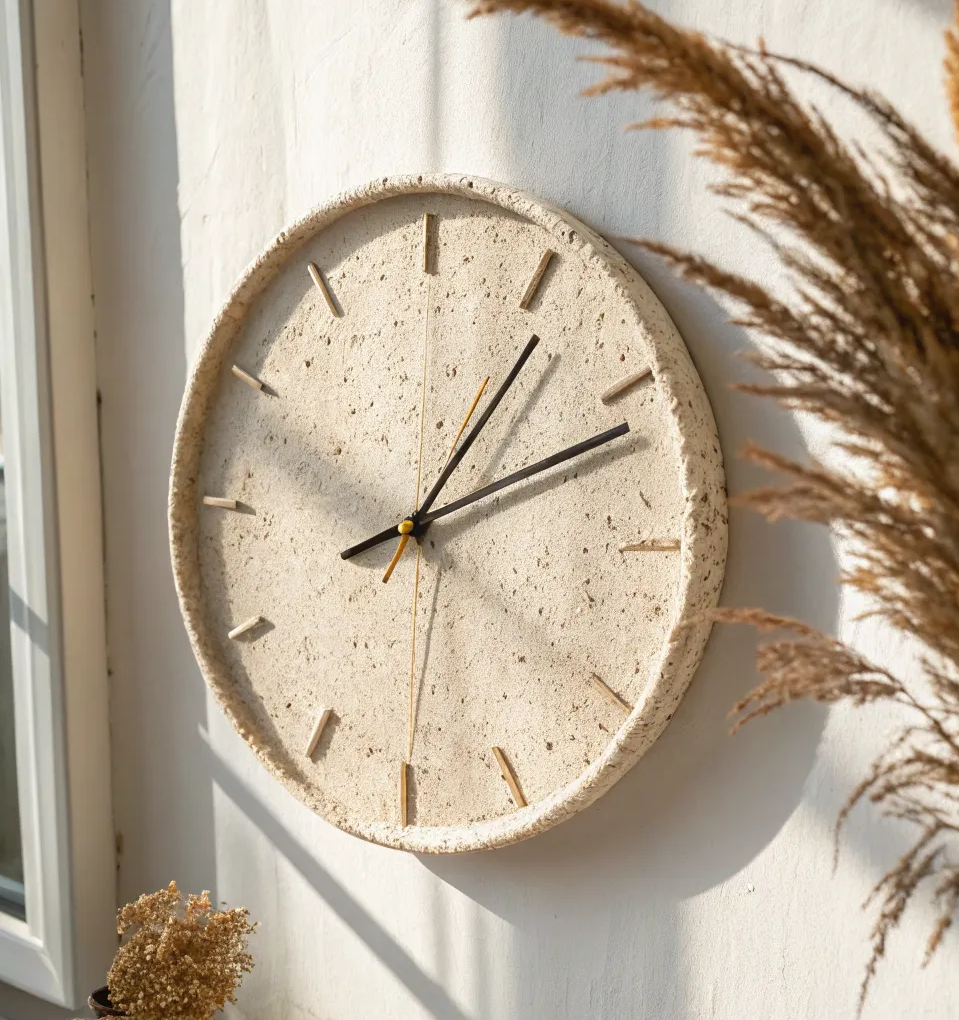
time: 1:11
